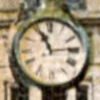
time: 11:13
